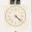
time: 4:21
